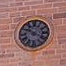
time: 3:48
